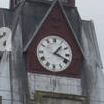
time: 1:18
